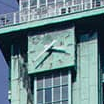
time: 3:37
